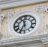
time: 11:35
